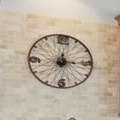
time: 12:15
